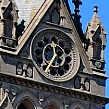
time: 11:36
